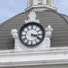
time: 3:19
